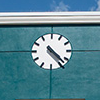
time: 4:22
